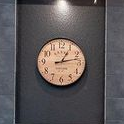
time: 1:12
